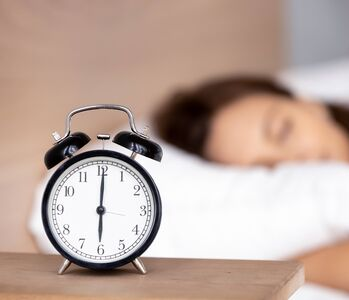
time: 6:00
